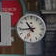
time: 10:43
